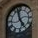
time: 4:57
